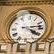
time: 4:13
